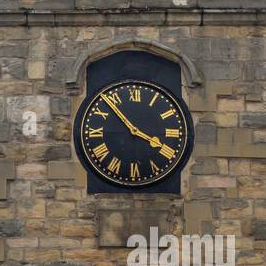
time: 3:52
